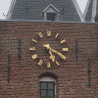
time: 5:20
